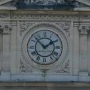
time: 1:52
